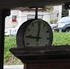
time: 9:01
